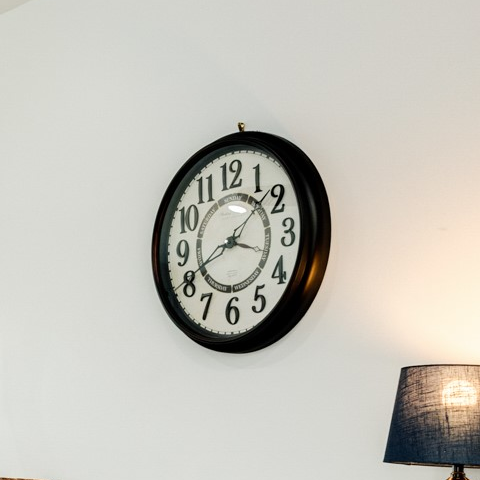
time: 3:40
